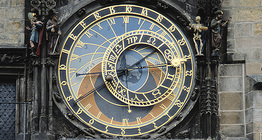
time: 8:09
